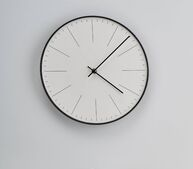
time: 4:07
